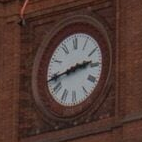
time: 2:43
